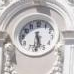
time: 5:30
